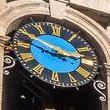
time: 2:48
